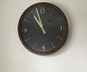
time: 10:57
